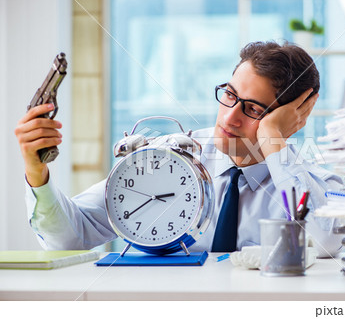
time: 2:39
